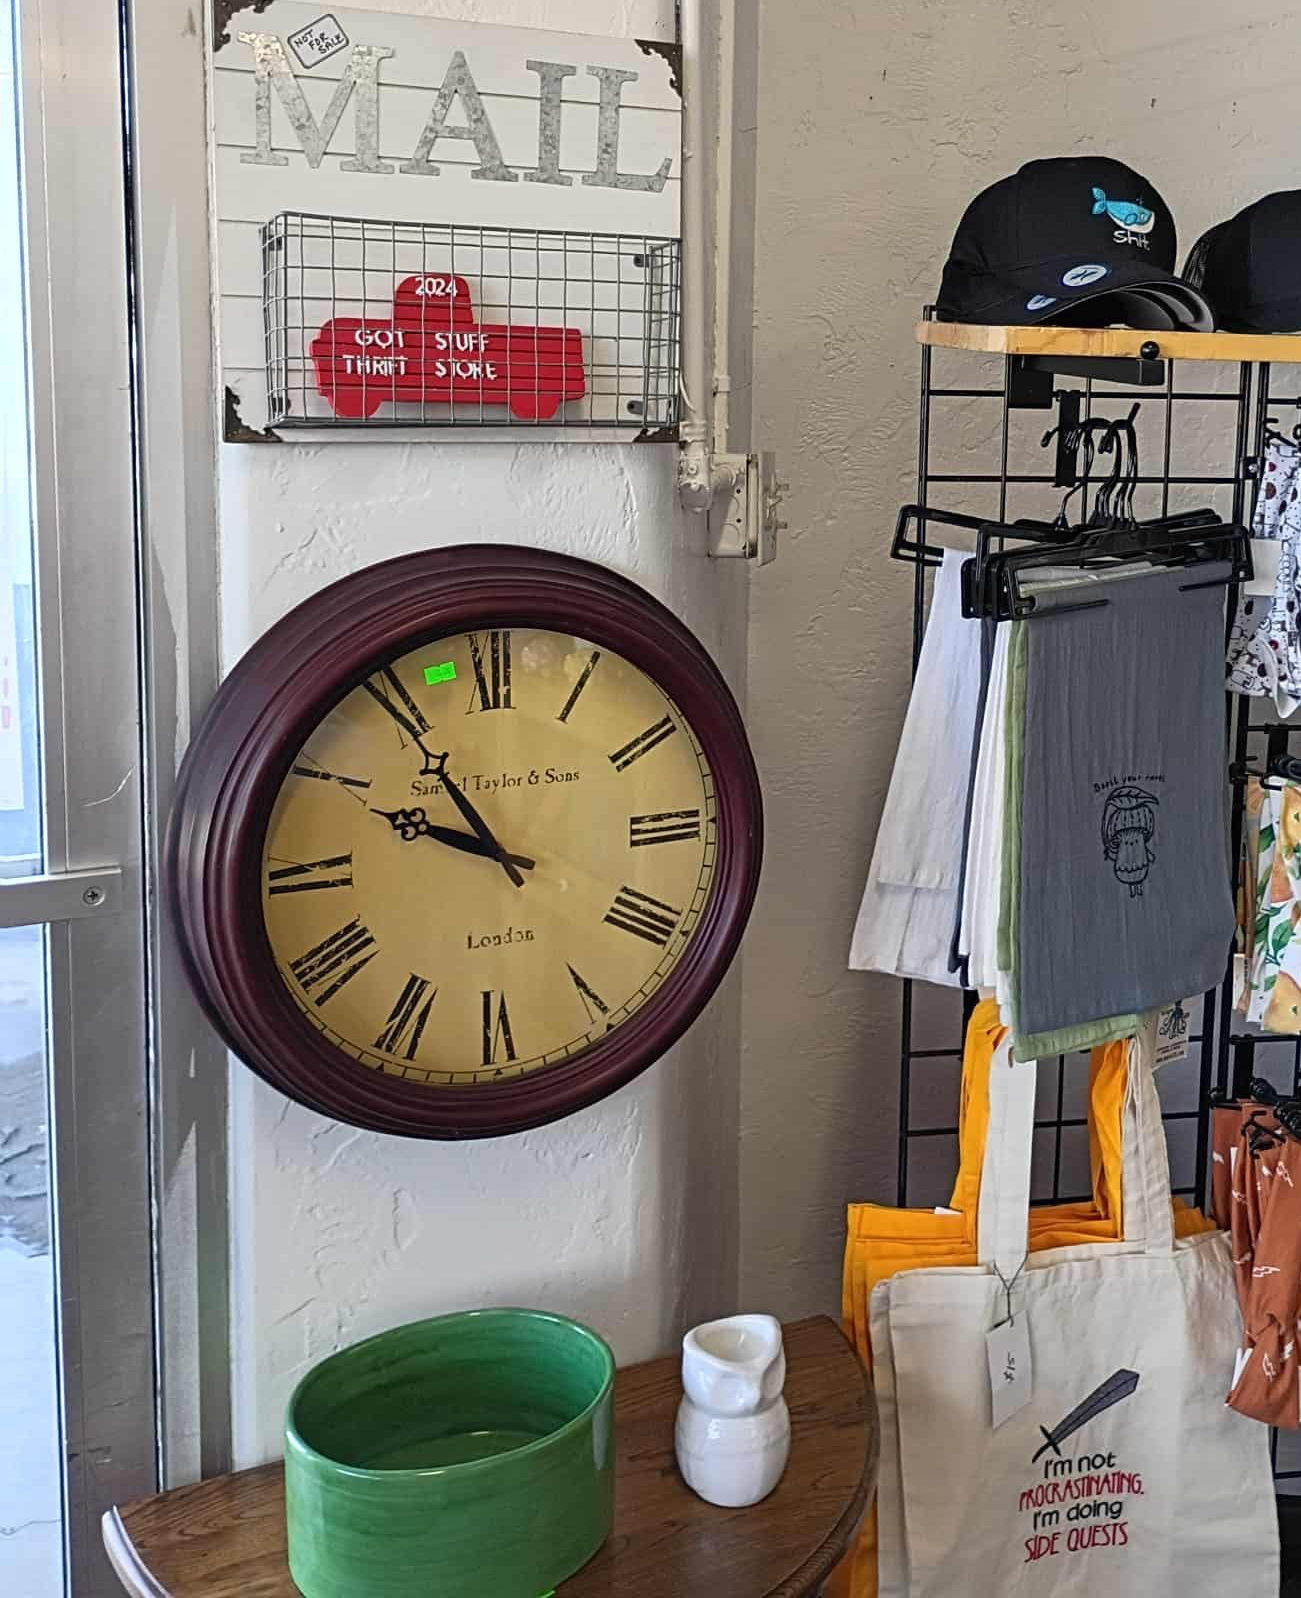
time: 9:54
